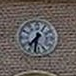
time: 7:32
